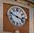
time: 3:48
